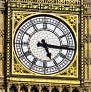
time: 5:15
